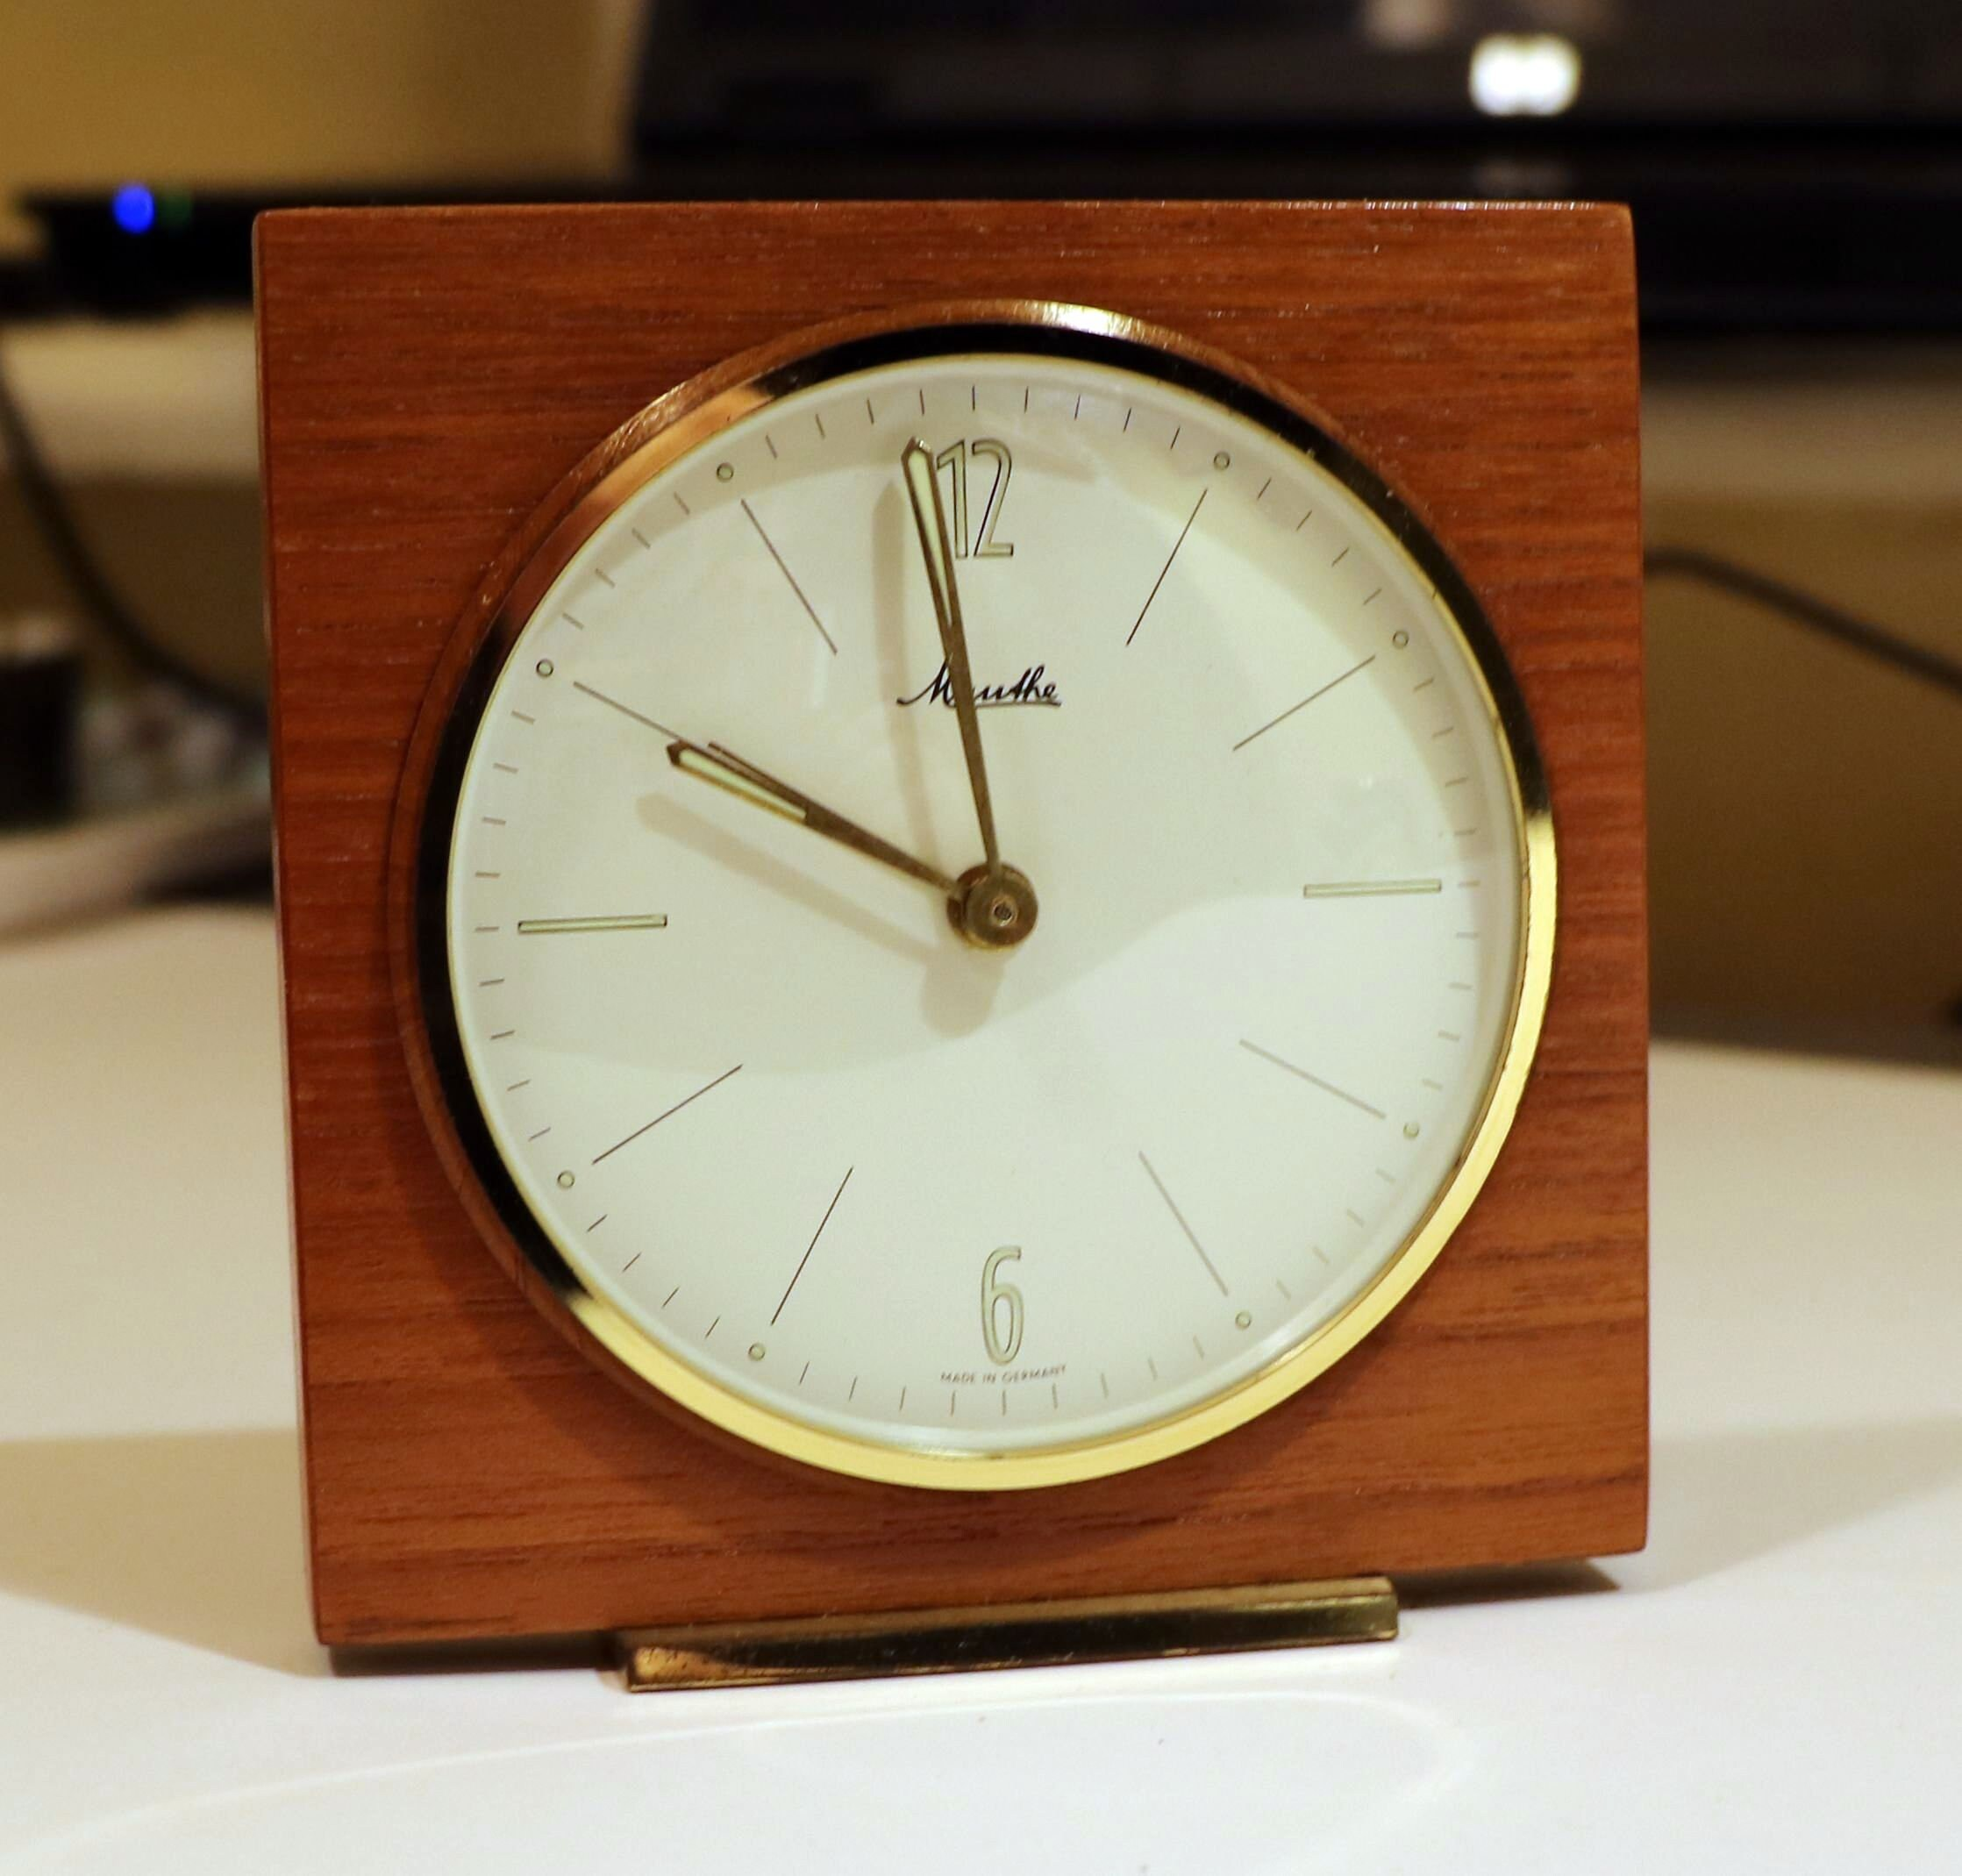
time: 9:58
